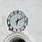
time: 6:10
